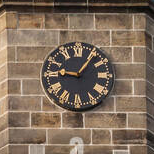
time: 9:05
